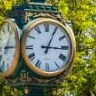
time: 3:04
